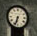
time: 6:33
